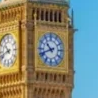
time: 10:41
